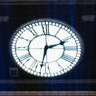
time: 2:32
